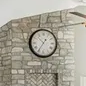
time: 10:35
